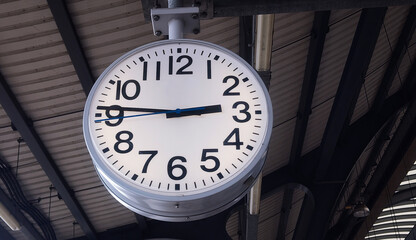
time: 2:46
